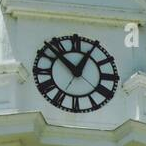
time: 12:52
